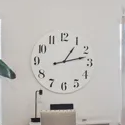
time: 1:12
